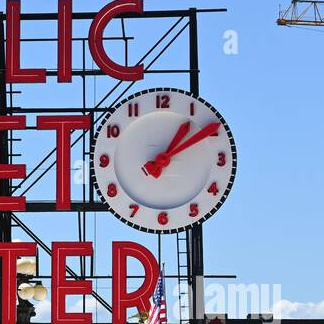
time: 1:09
